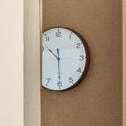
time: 10:29
